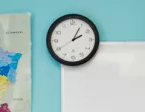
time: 2:04
